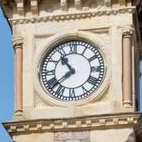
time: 10:38
